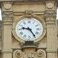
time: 9:24
